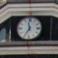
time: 11:35
